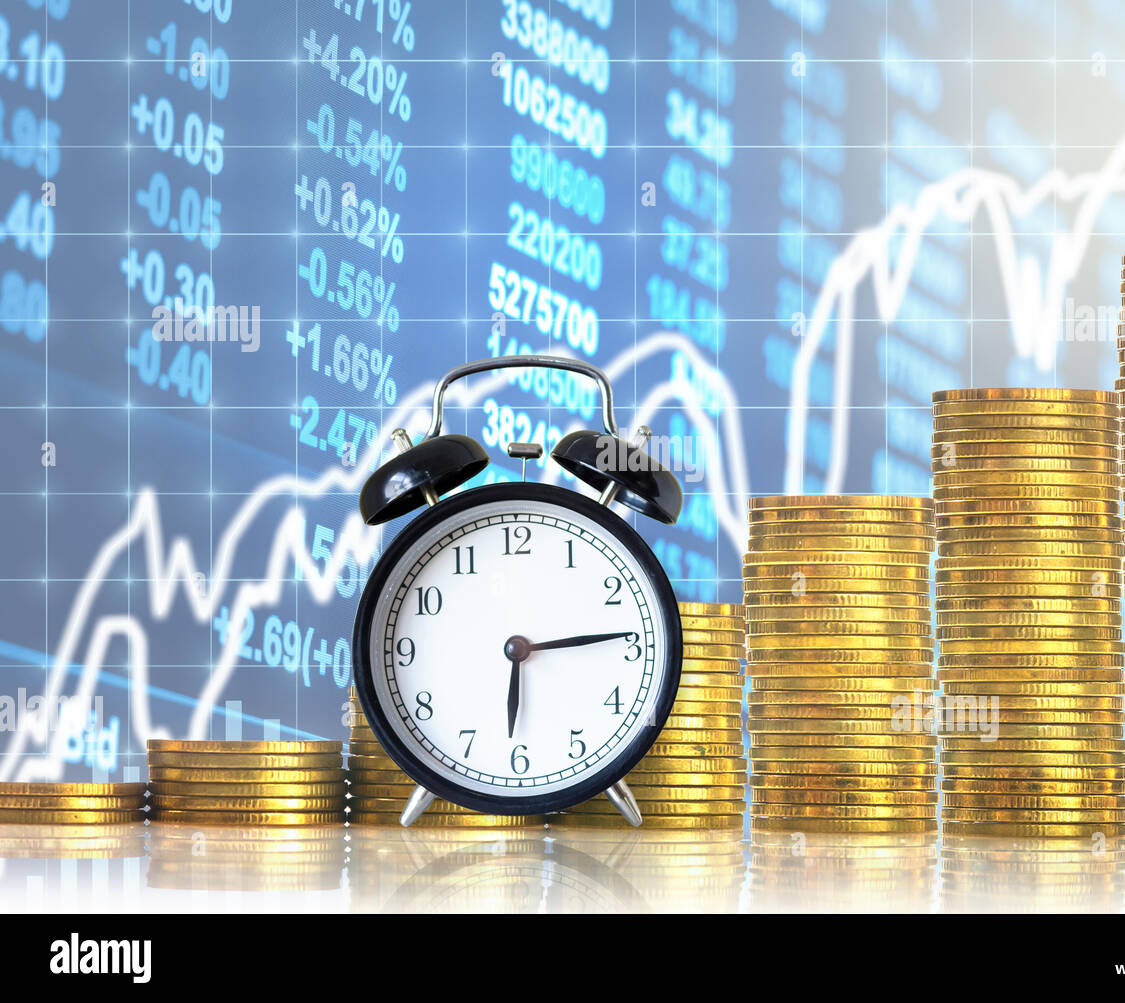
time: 6:13
